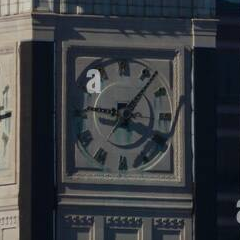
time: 9:07
